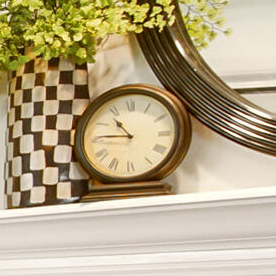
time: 10:45
